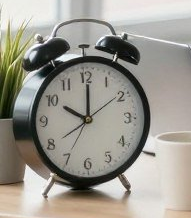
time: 10:00
